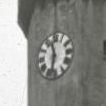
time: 11:32
